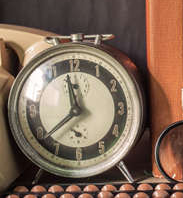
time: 11:38
